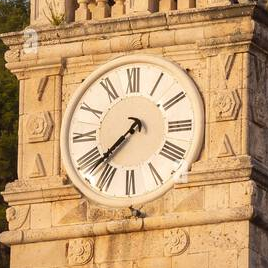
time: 7:37
